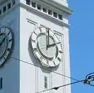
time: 2:00
